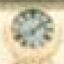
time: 8:09
